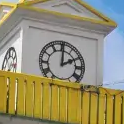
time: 2:00
